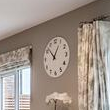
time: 12:52
